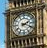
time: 2:18
